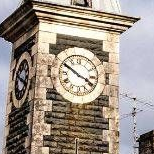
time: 3:50
